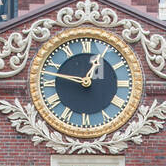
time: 12:47
